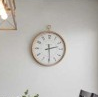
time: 2:29
